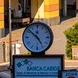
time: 4:52
